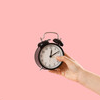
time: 12:09
